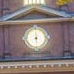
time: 5:59
